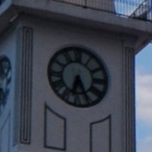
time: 6:25
